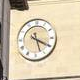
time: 5:19
